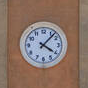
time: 4:07
